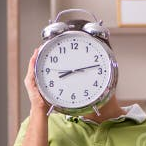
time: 8:12
